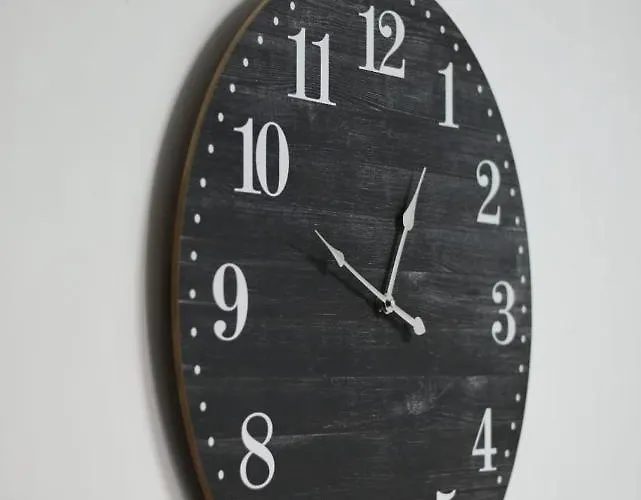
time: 12:48
